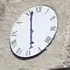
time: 11:28
